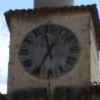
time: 11:35
